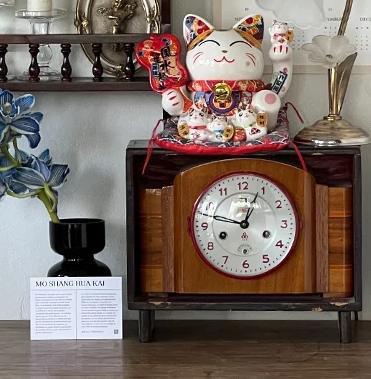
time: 12:47
